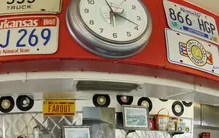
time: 11:18
